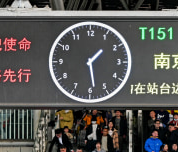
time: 1:28
